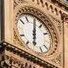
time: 6:00
